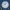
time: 9:01
